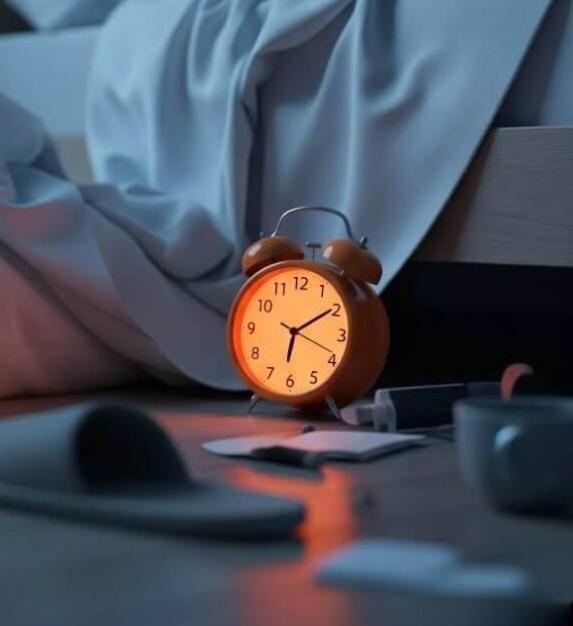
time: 6:09
